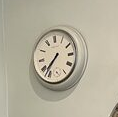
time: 7:37
